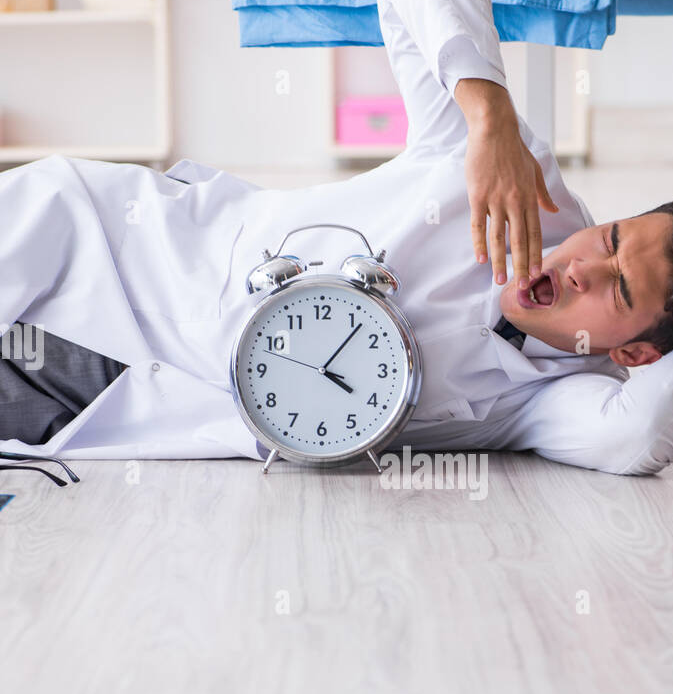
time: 4:06
